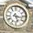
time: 5:16
